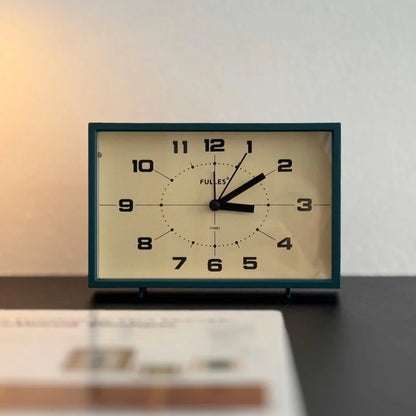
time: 3:09
